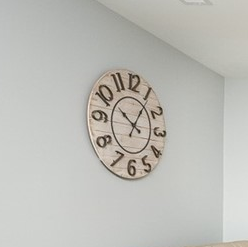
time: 10:05
